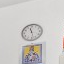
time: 11:28
